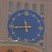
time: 11:44
